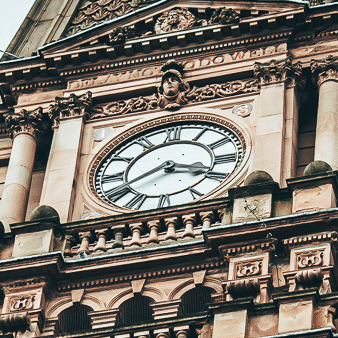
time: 3:40
